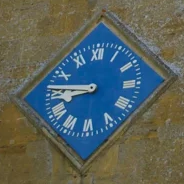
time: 8:45
